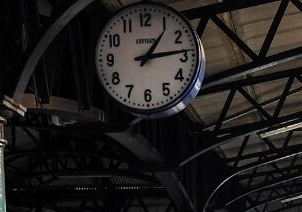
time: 1:13
